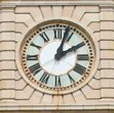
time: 2:03
